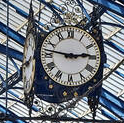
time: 2:46
